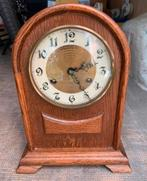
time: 2:24
